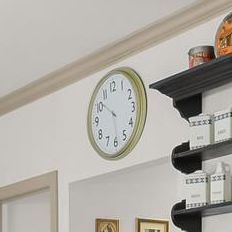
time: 5:51
